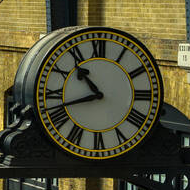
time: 10:42
